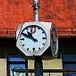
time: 10:49
